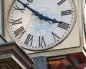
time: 3:52
